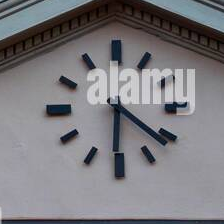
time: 6:21
